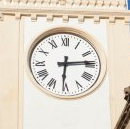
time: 6:14
